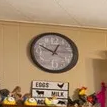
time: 12:49
